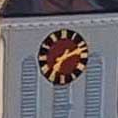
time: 7:11
